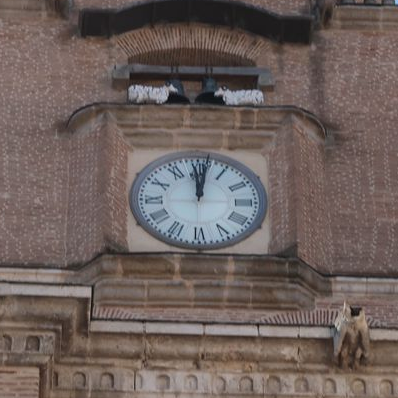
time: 12:01
